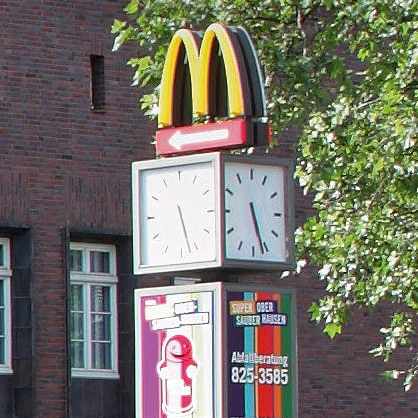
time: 5:26
